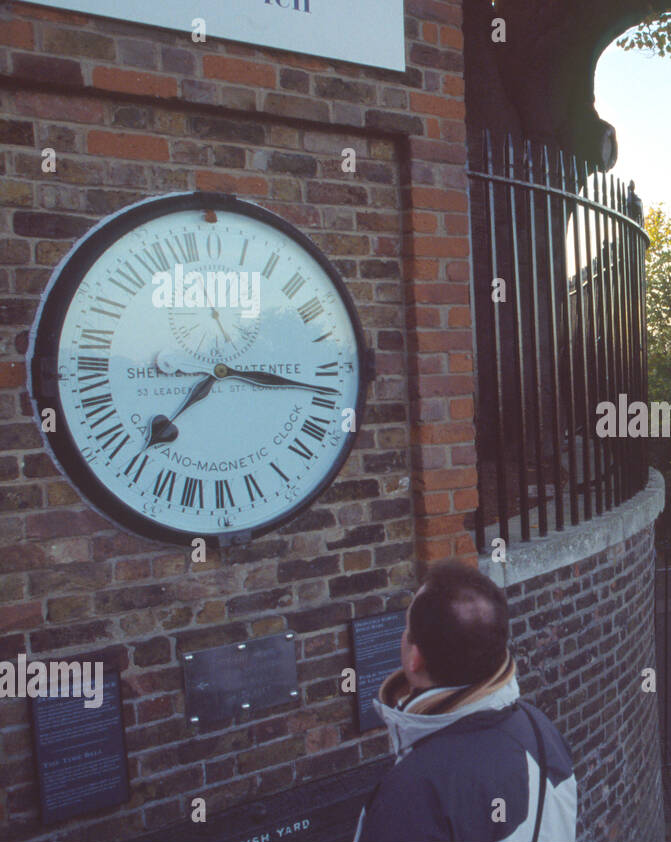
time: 7:16
